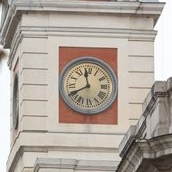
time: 11:40
